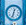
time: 12:32
